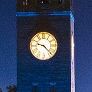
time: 9:22
